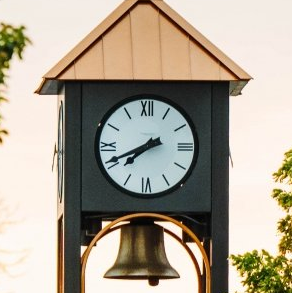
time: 7:40
